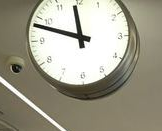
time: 11:48
